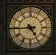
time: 4:44
